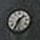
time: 1:34
